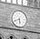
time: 5:40
